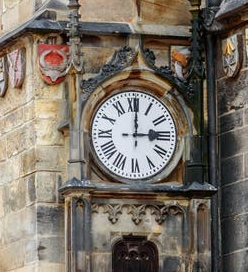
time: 3:00
